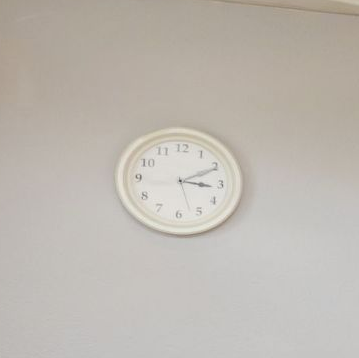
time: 3:10
